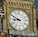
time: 8:49
